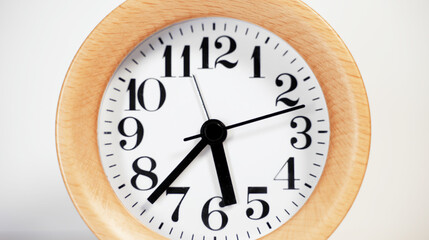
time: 5:37
